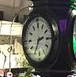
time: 2:34
